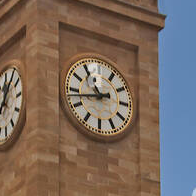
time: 10:43
